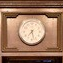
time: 7:27
